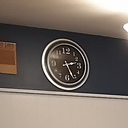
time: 2:26
